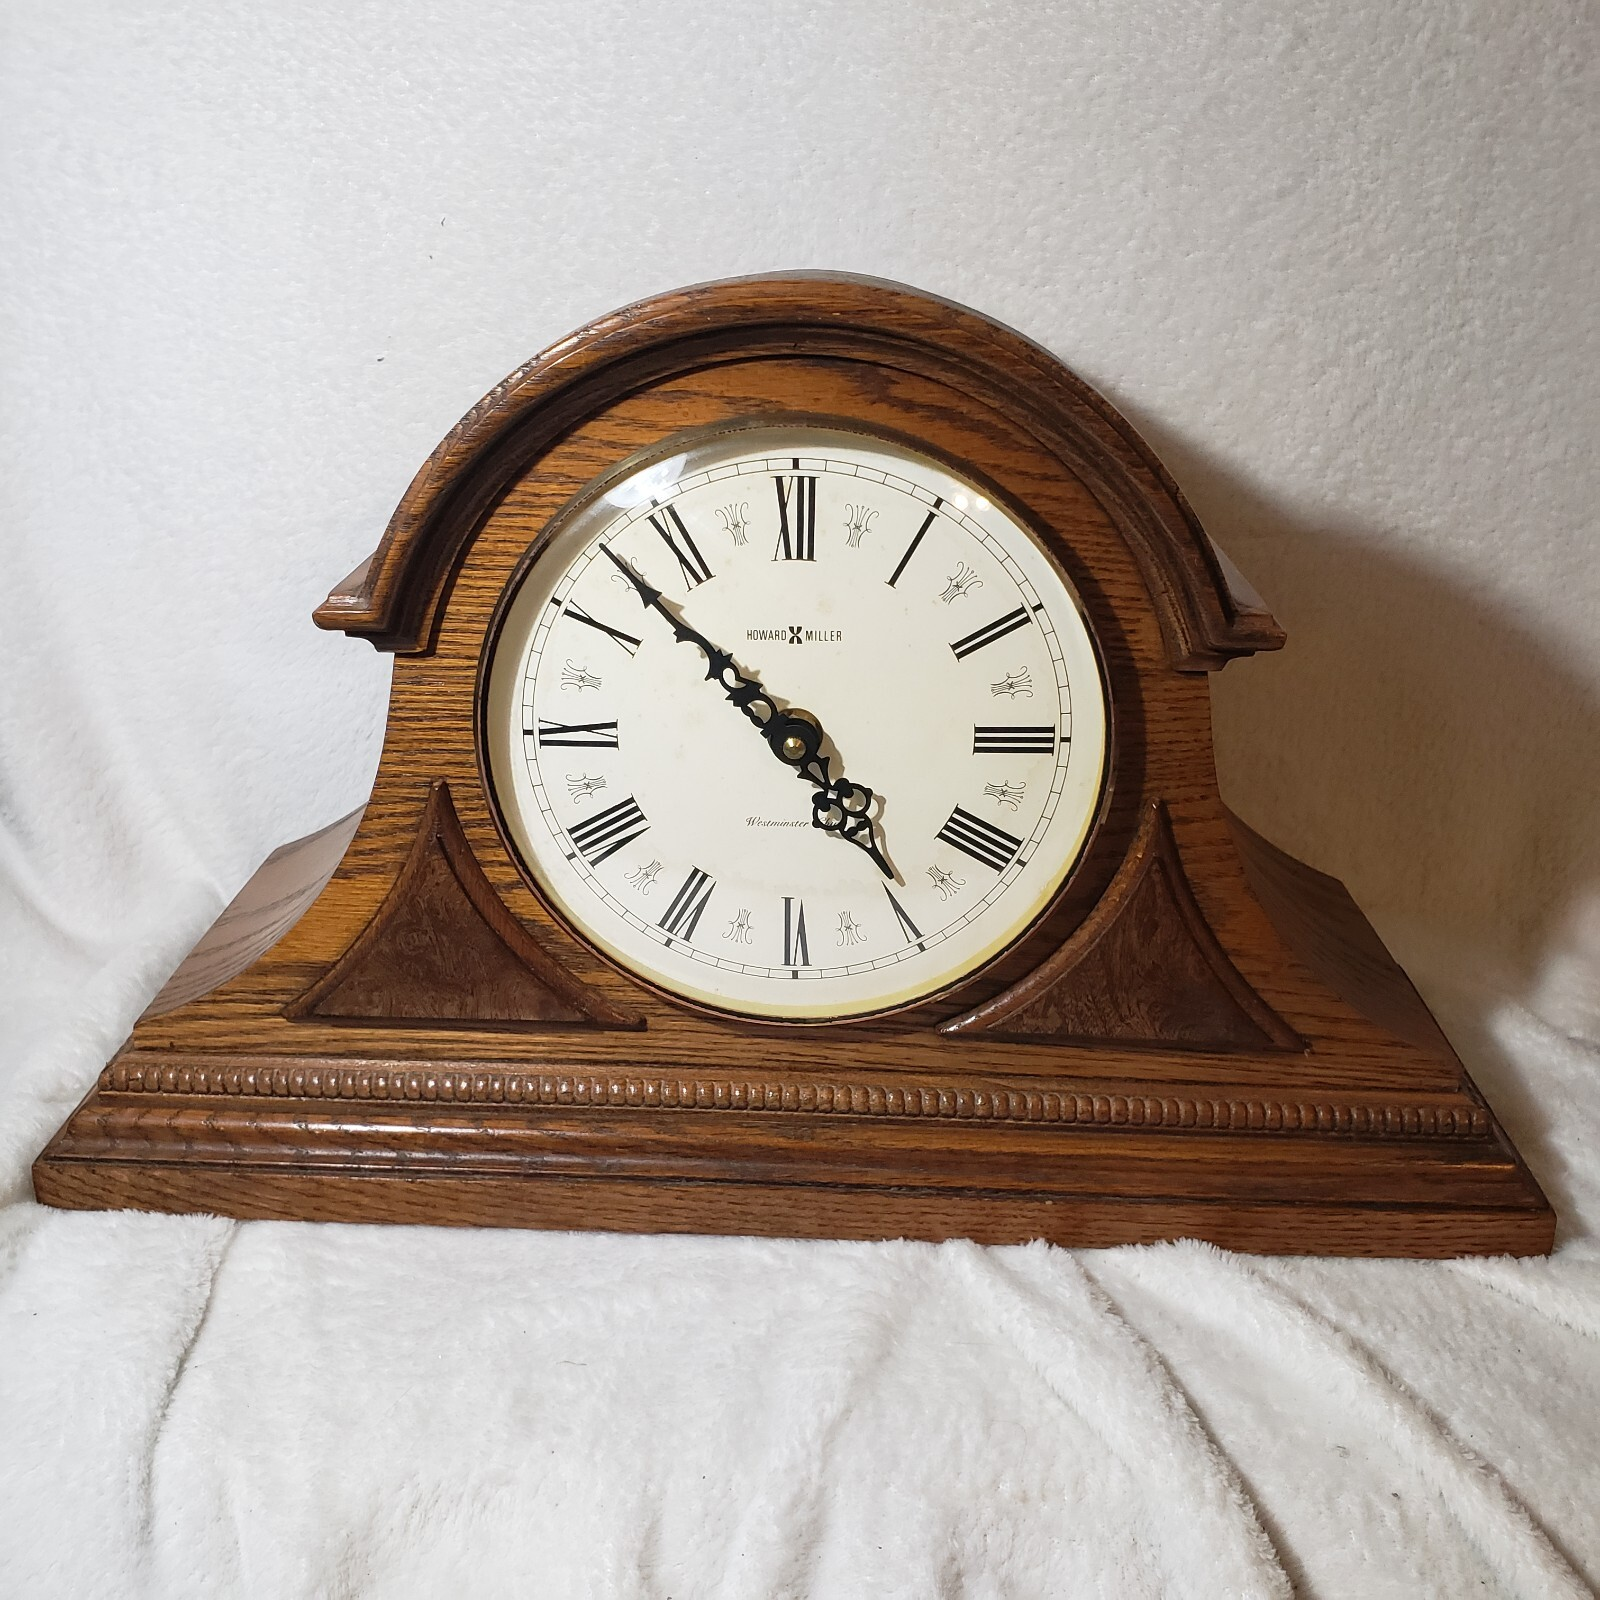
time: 4:52
